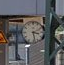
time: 3:28
